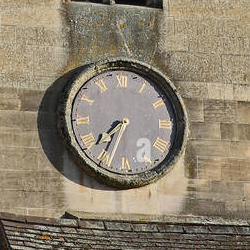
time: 7:34
